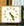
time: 4:26
